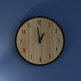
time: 12:59
